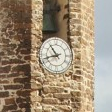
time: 10:42
